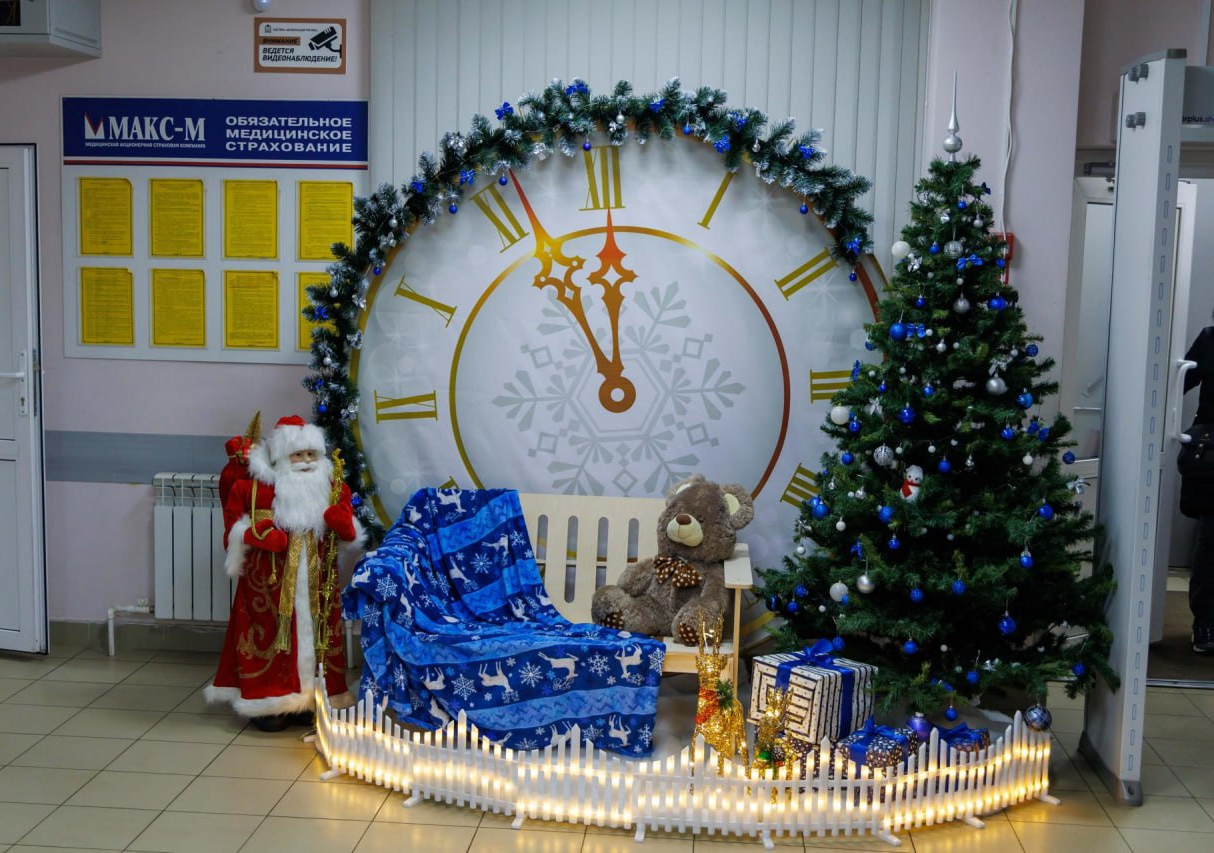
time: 11:55
